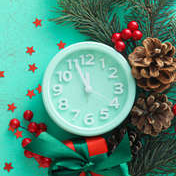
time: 11:56
